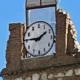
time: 1:45
